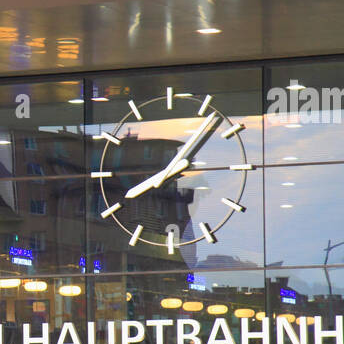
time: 8:07
